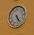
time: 5:24
